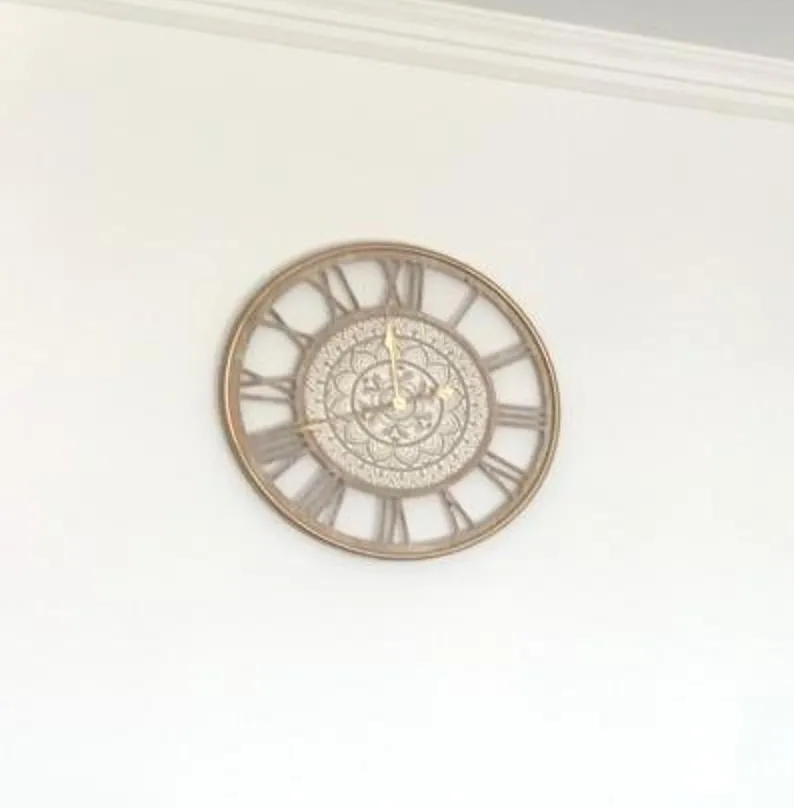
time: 11:41
